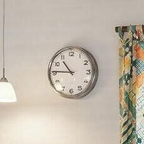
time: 10:45
